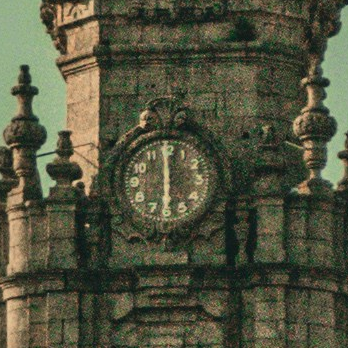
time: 5:59
